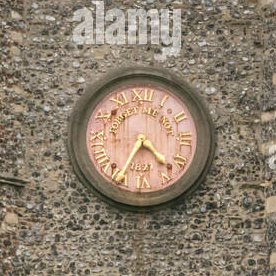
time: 4:35
